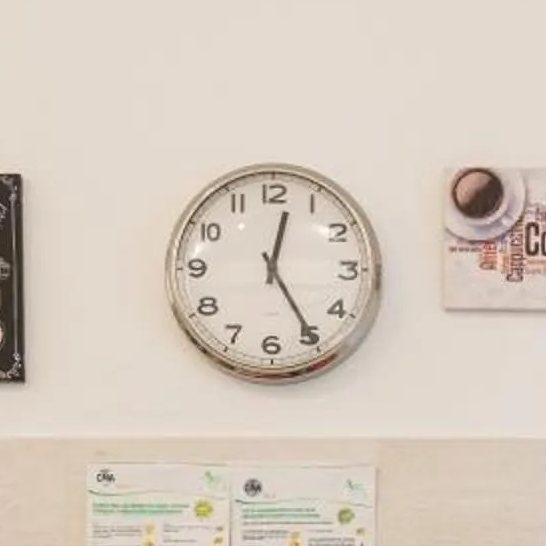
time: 12:24
